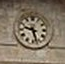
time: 9:28
